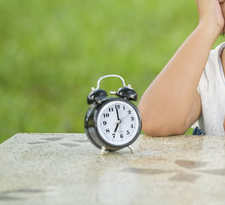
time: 7:00
